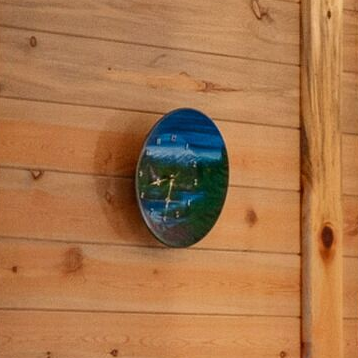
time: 8:32
